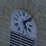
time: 5:08
